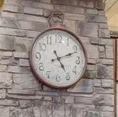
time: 5:11
